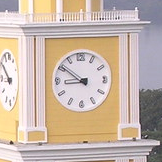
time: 8:50
